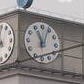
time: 11:03
